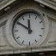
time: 11:50
